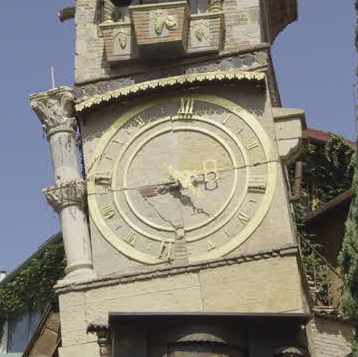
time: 4:42
